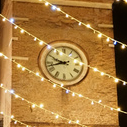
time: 9:42
